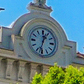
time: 12:32
